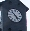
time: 4:52
